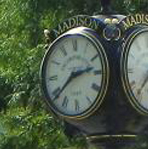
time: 2:38
